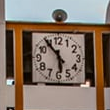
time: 5:54
